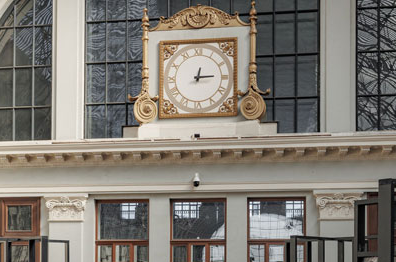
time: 12:14
